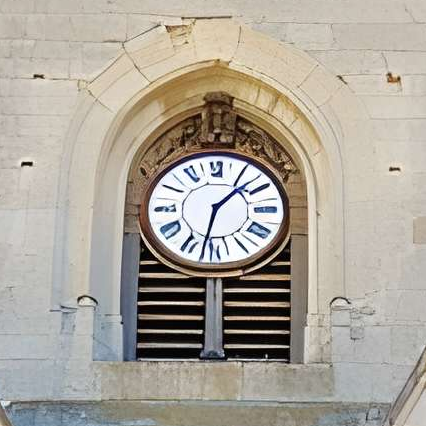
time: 1:32
